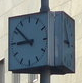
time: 8:51
